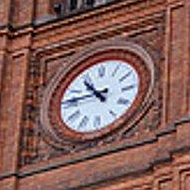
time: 10:45
